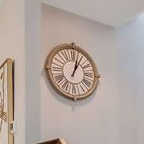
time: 1:02
